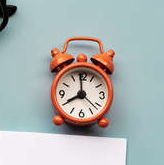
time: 7:59
